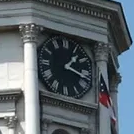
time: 1:17
